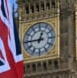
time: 12:45
